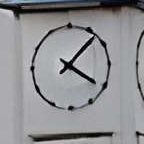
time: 4:07
